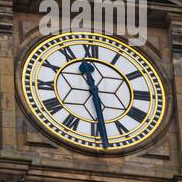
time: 11:28
